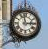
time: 2:58
